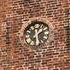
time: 1:28
